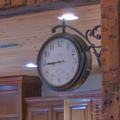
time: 8:44
